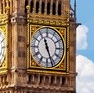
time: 11:26
